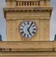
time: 5:05
